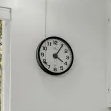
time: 4:05
